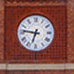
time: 6:46
